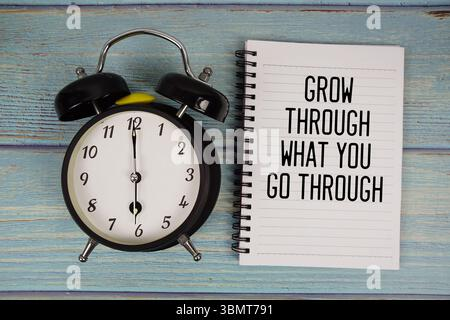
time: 5:59
